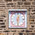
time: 12:28
